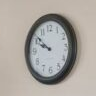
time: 9:51
